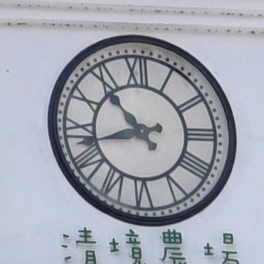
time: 10:42
